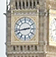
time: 2:43
